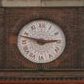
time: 2:47
